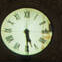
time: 5:29
